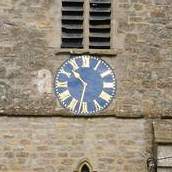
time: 10:32
